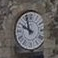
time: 9:57
